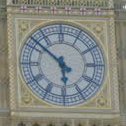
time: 5:51
